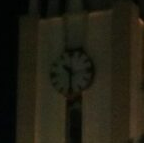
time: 10:30
